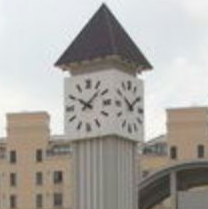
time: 10:07
